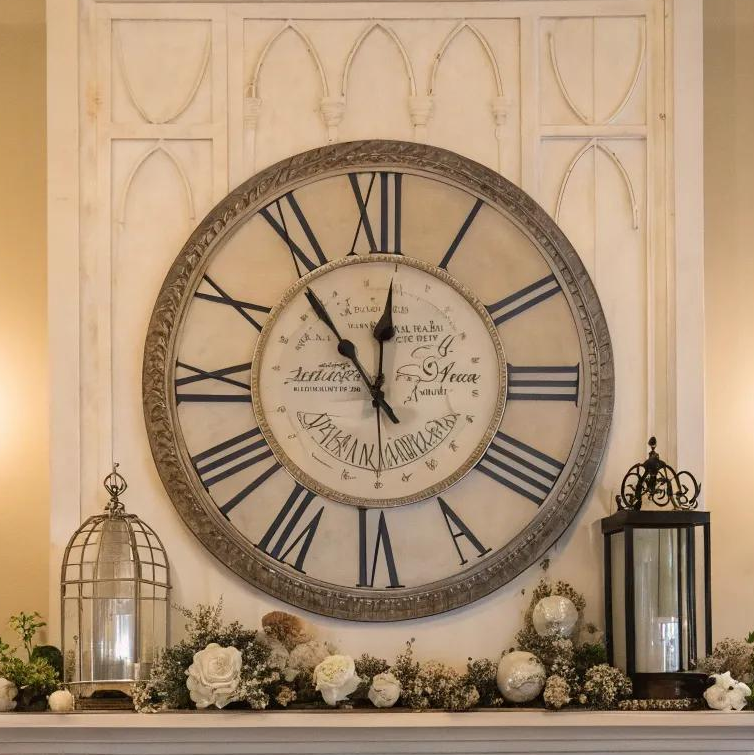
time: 11:53
